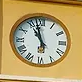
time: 10:57
